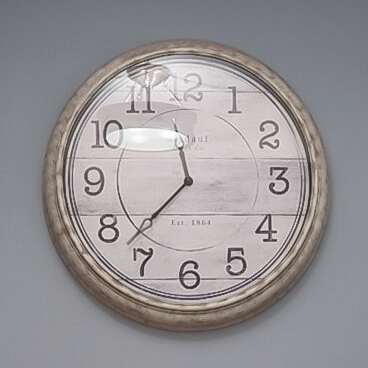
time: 11:37
